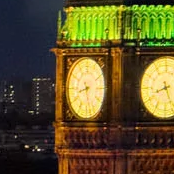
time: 8:27
